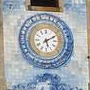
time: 5:10
